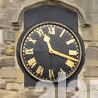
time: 11:17
